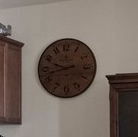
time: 9:42
